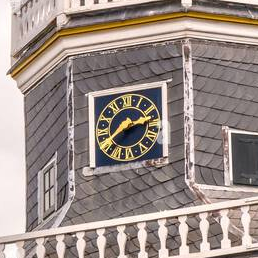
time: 2:38
